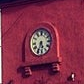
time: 5:33
